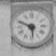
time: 5:48
